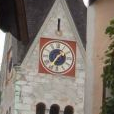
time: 1:35
